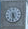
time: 5:31
